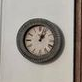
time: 1:02
